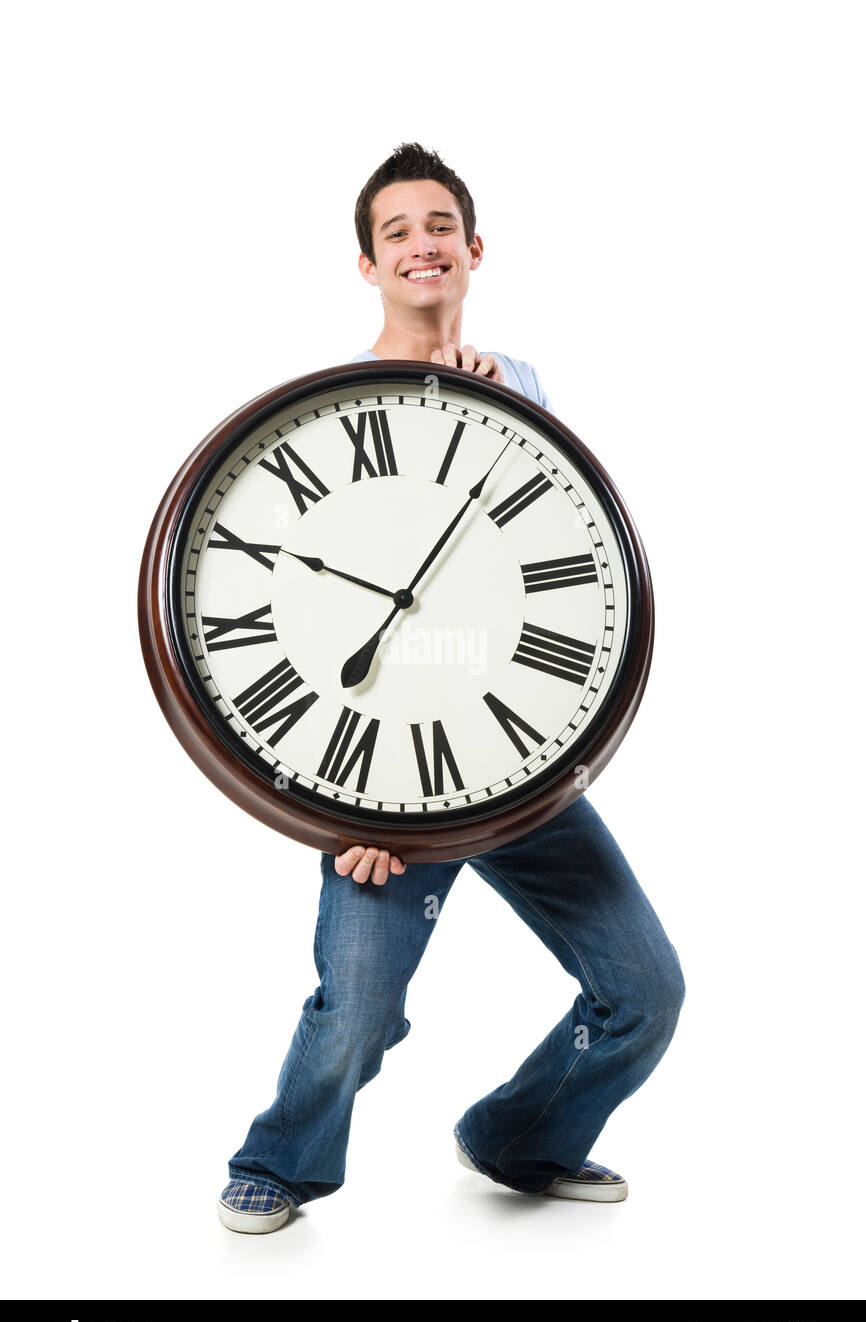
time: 10:07
